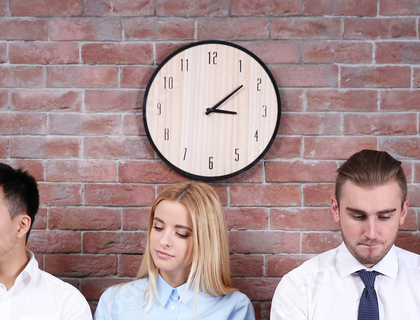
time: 3:08
